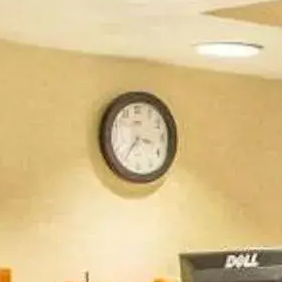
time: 3:35
